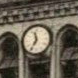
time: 11:35
